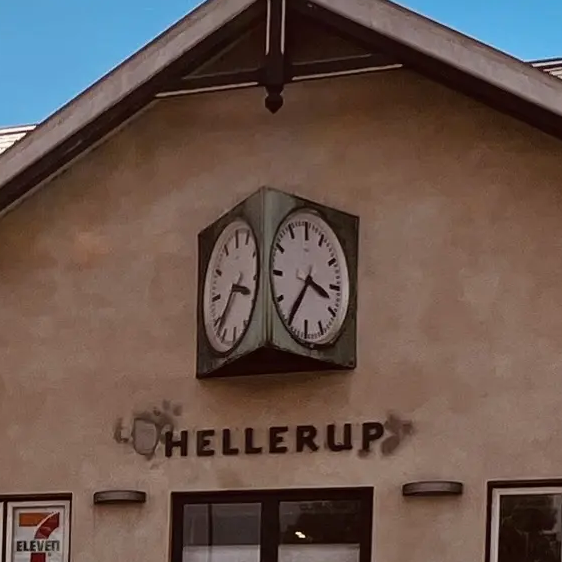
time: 3:35
